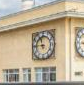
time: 11:45
